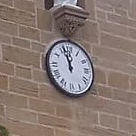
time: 11:56
